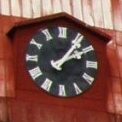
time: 2:06
